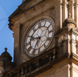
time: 9:34
